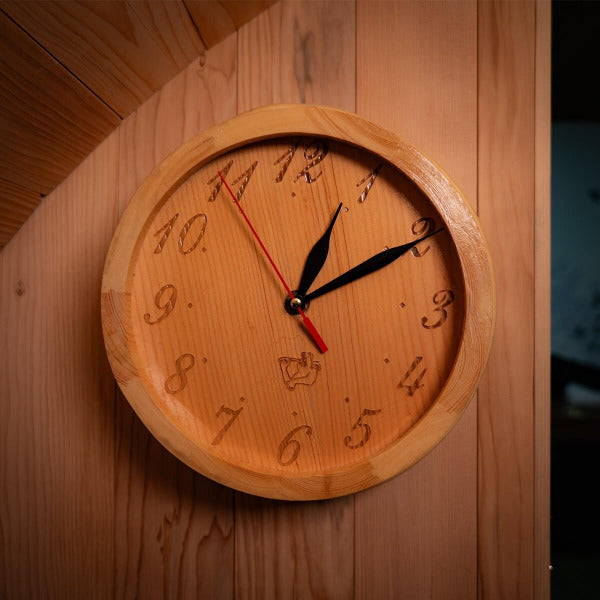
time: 1:10
